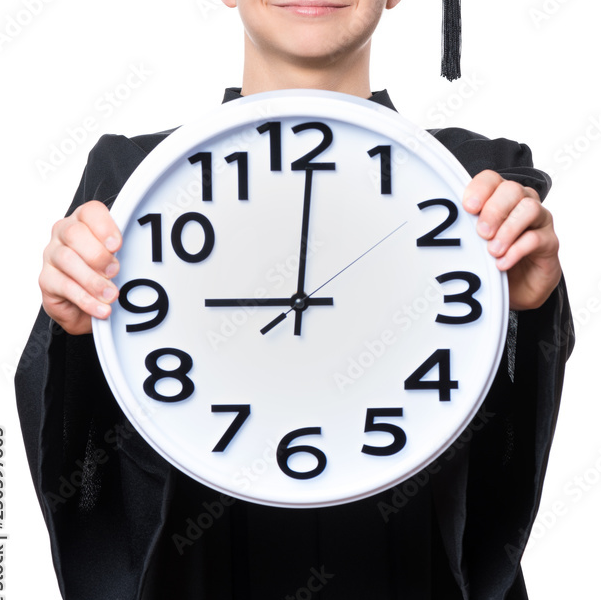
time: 9:00
